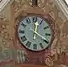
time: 12:19
